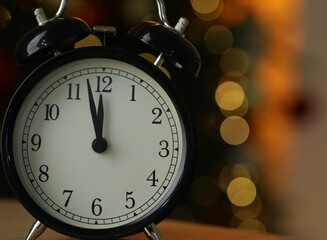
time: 11:57
